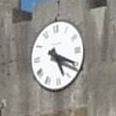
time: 5:19
